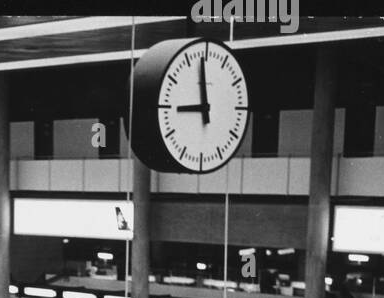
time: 8:58
